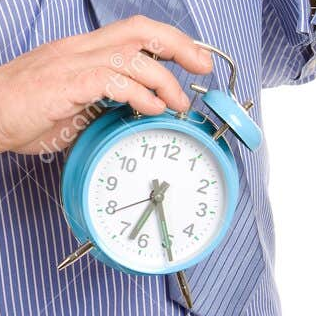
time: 6:24
